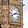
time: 2:41
